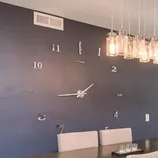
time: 1:44
